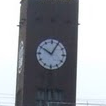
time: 10:04
